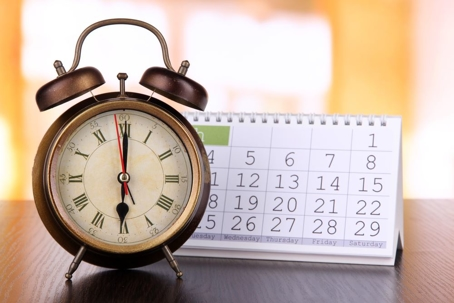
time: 6:00
